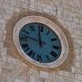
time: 11:46
